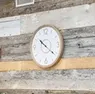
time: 10:21
